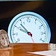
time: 9:53
